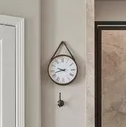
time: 9:42
